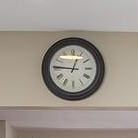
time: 12:45
